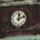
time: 12:12
